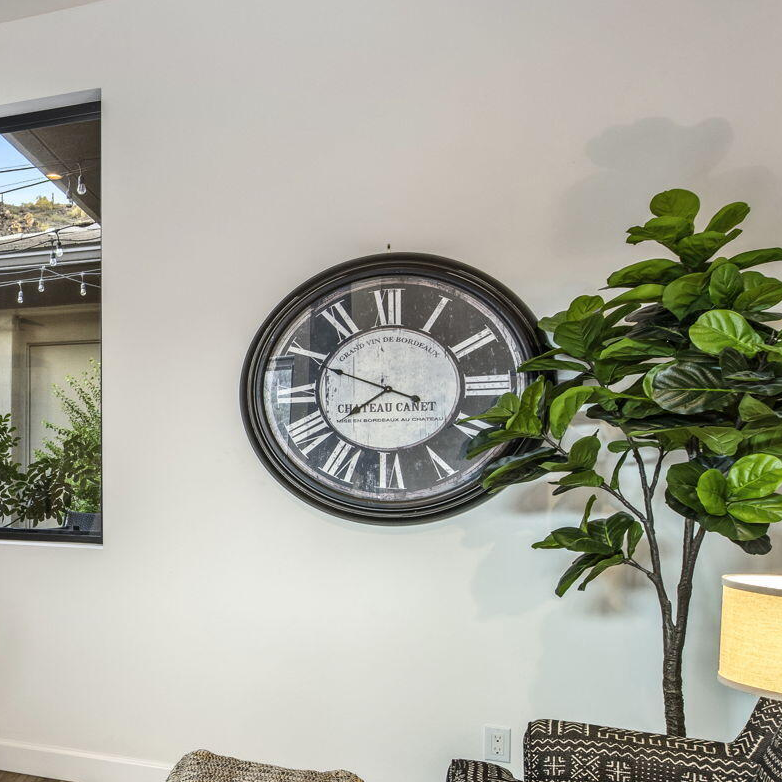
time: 7:48
